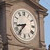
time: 8:36
